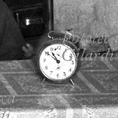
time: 10:50
